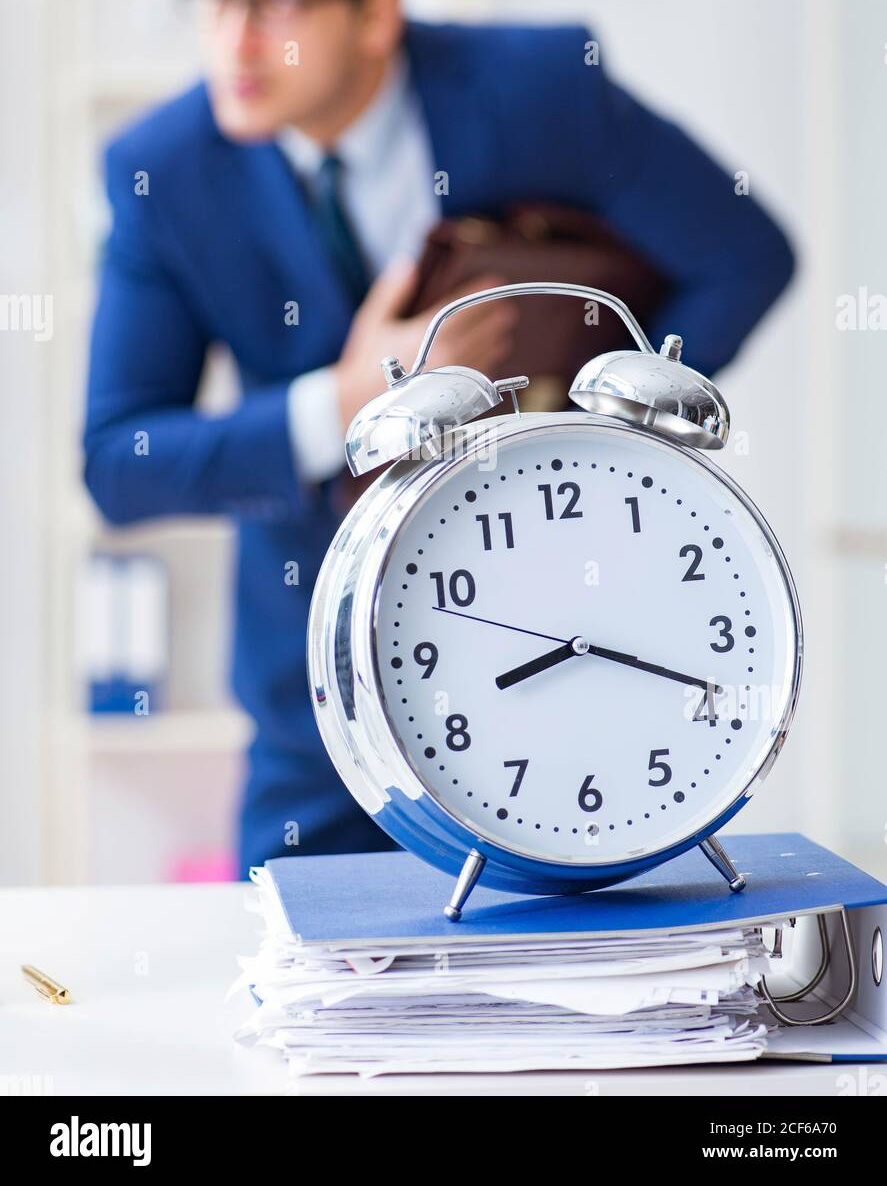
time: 8:18
